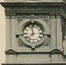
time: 11:37
